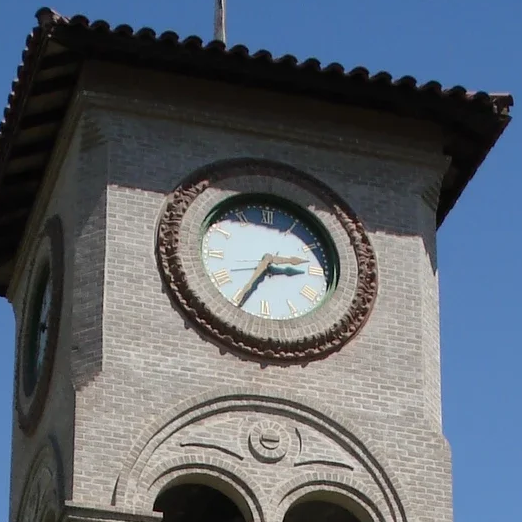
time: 2:34
